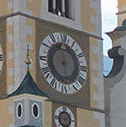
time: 5:59
